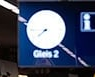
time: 7:44
